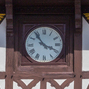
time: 3:53
